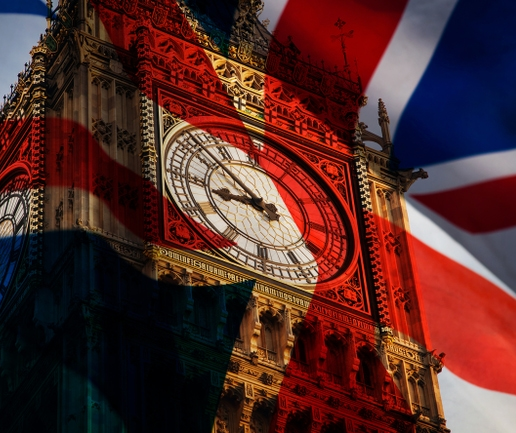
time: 8:52
